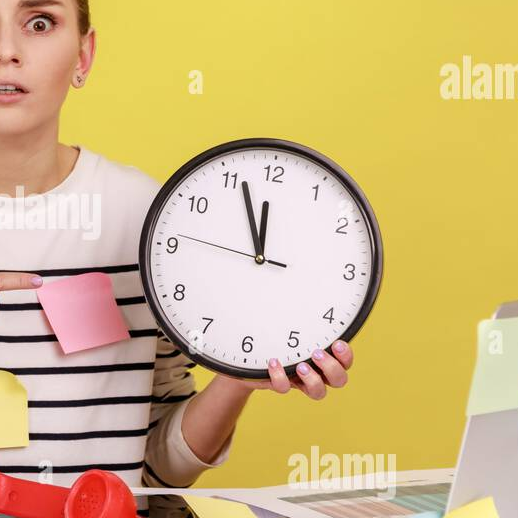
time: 11:56
